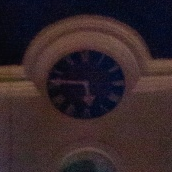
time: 5:46
